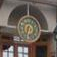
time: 6:32
